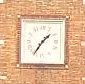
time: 1:35
